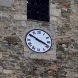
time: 3:50
